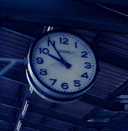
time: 9:54
